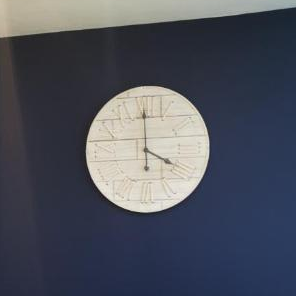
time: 4:00
